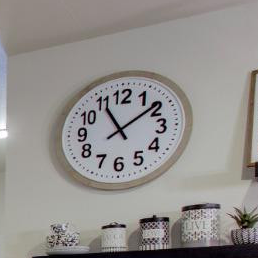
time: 11:08
